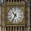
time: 10:34
